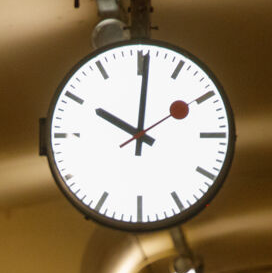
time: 10:00
